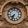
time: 7:33
